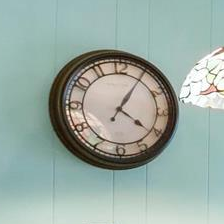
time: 4:05
